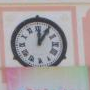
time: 12:05
